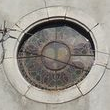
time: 3:46
